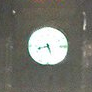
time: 8:26
